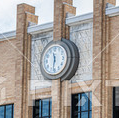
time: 11:32
